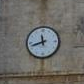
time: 11:42
